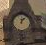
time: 12:07
